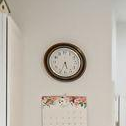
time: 5:33
